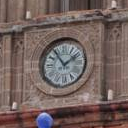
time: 1:54
